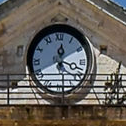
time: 12:19
